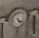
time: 5:21
